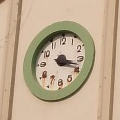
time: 3:18
